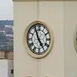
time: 4:56
